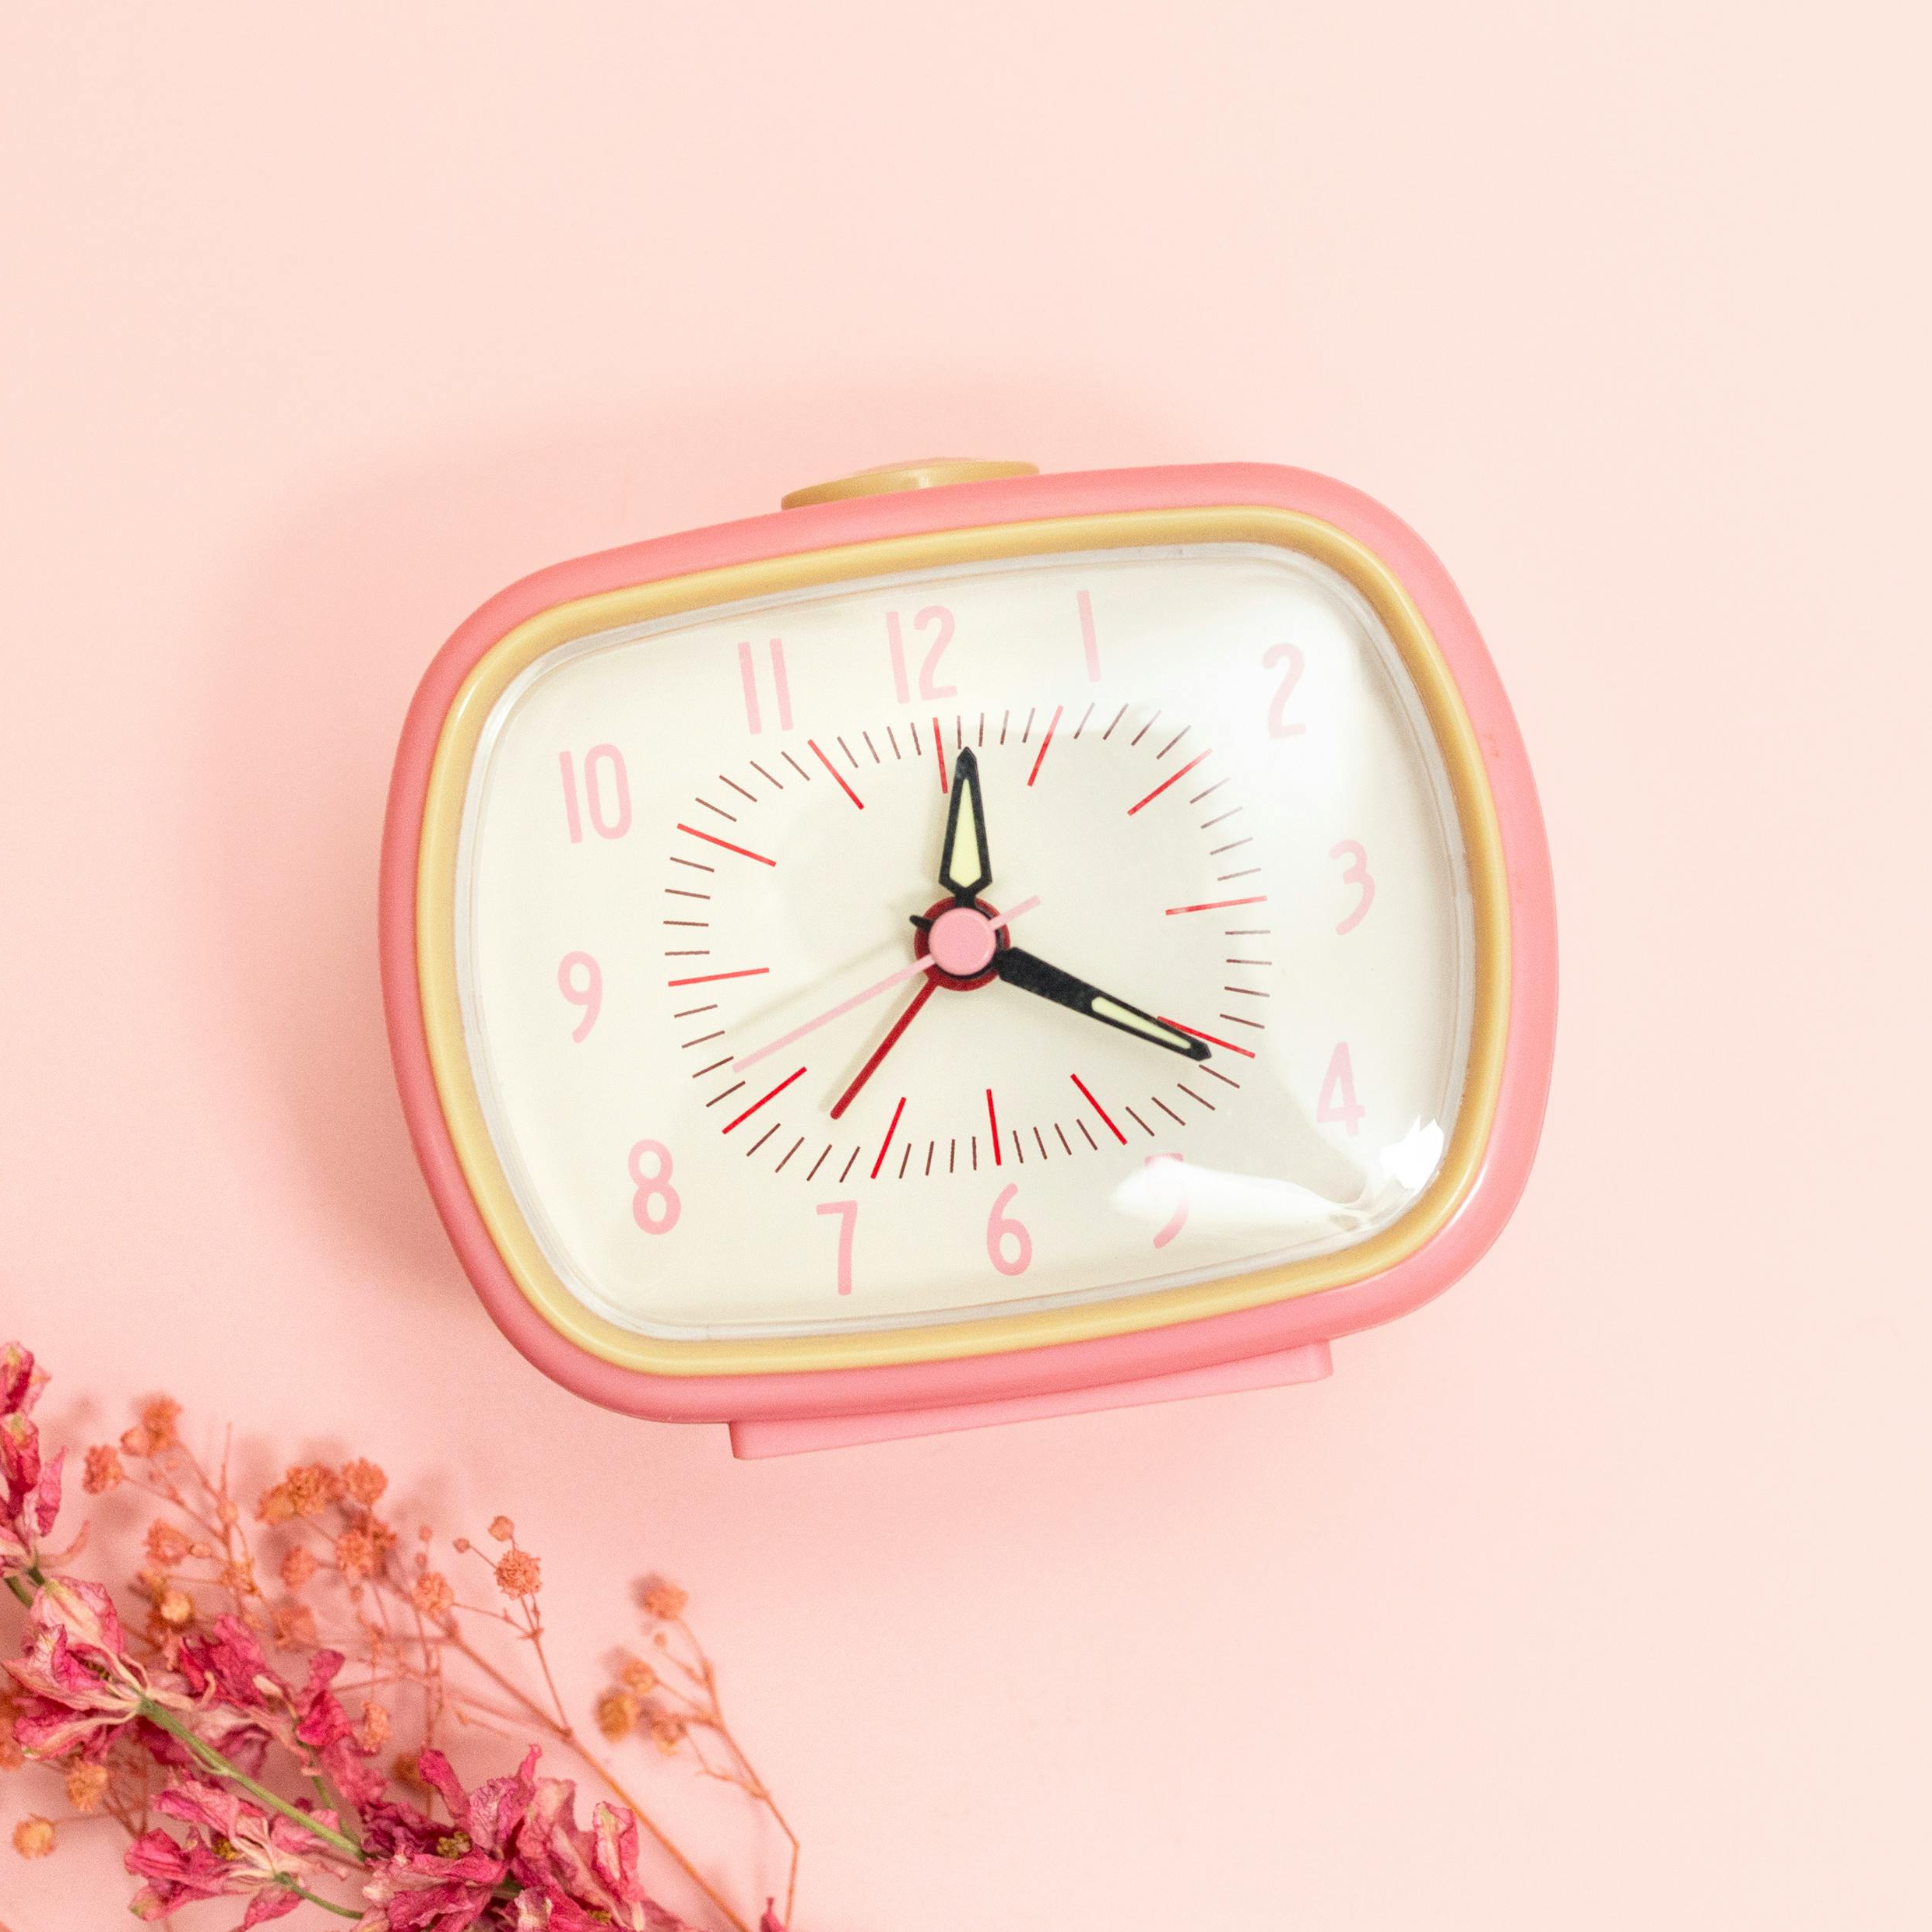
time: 12:20
